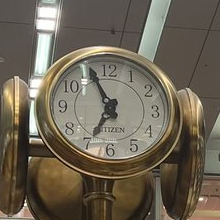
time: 6:56
